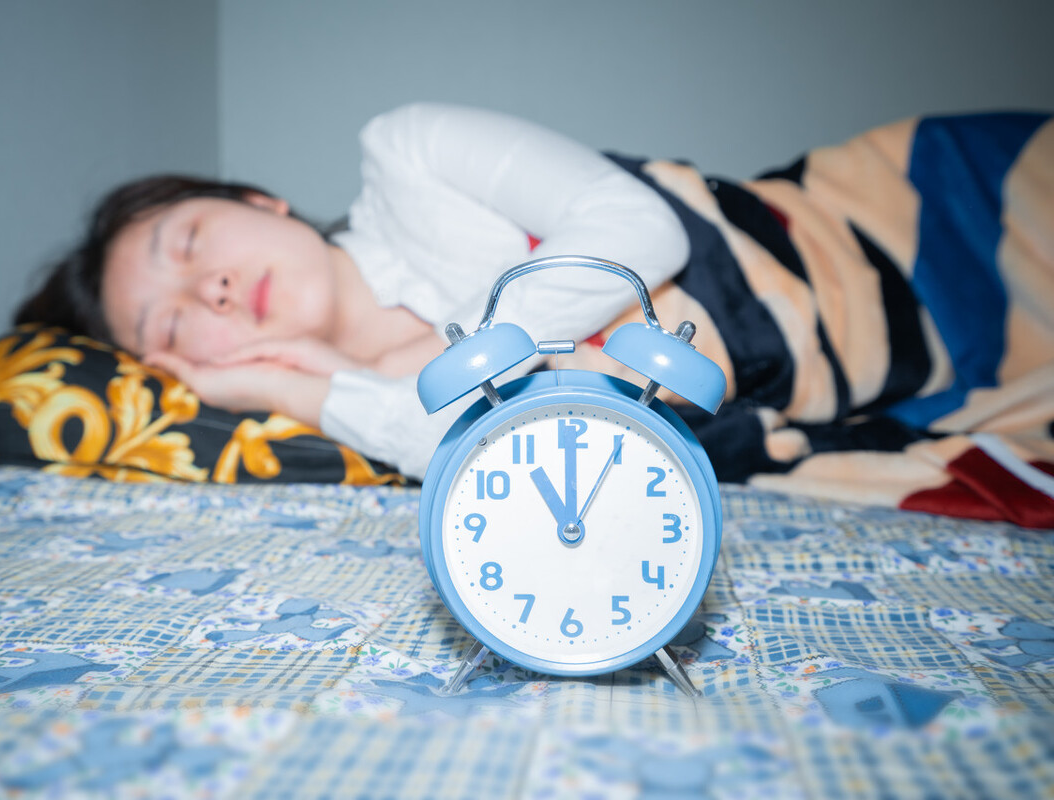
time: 11:00
